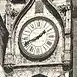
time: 1:41
